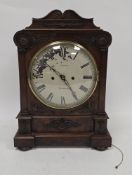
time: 10:24
